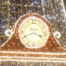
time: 3:40
